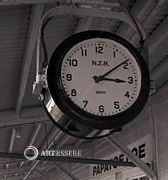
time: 3:09
